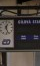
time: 12:26
